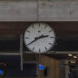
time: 2:39
